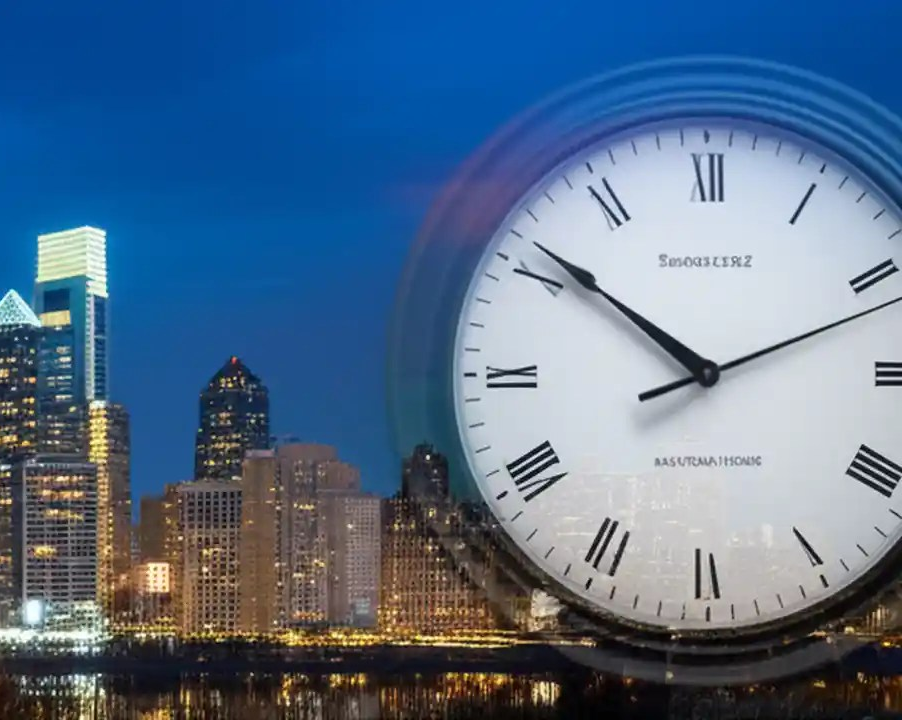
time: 10:11
